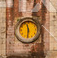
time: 11:30
